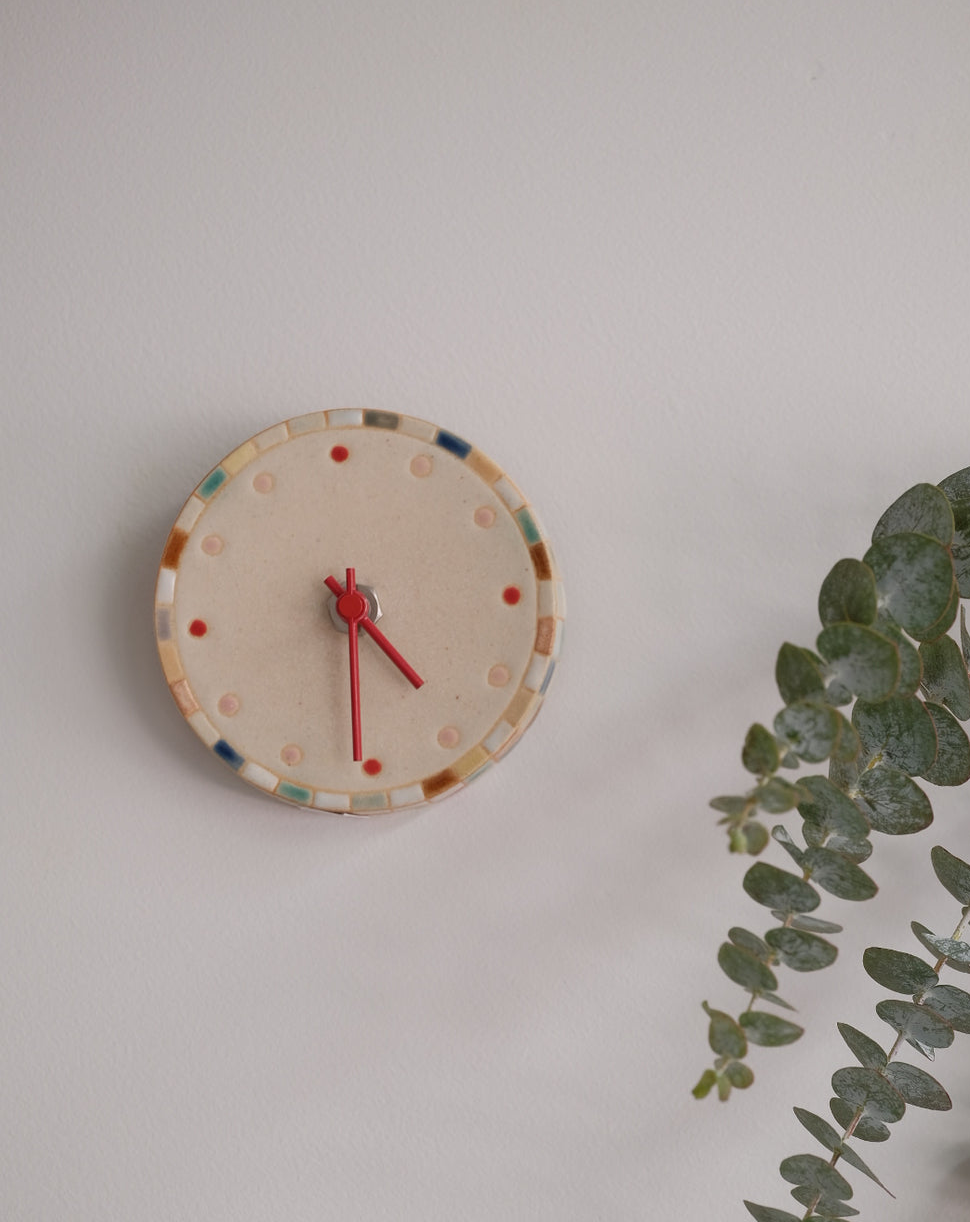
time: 4:31
